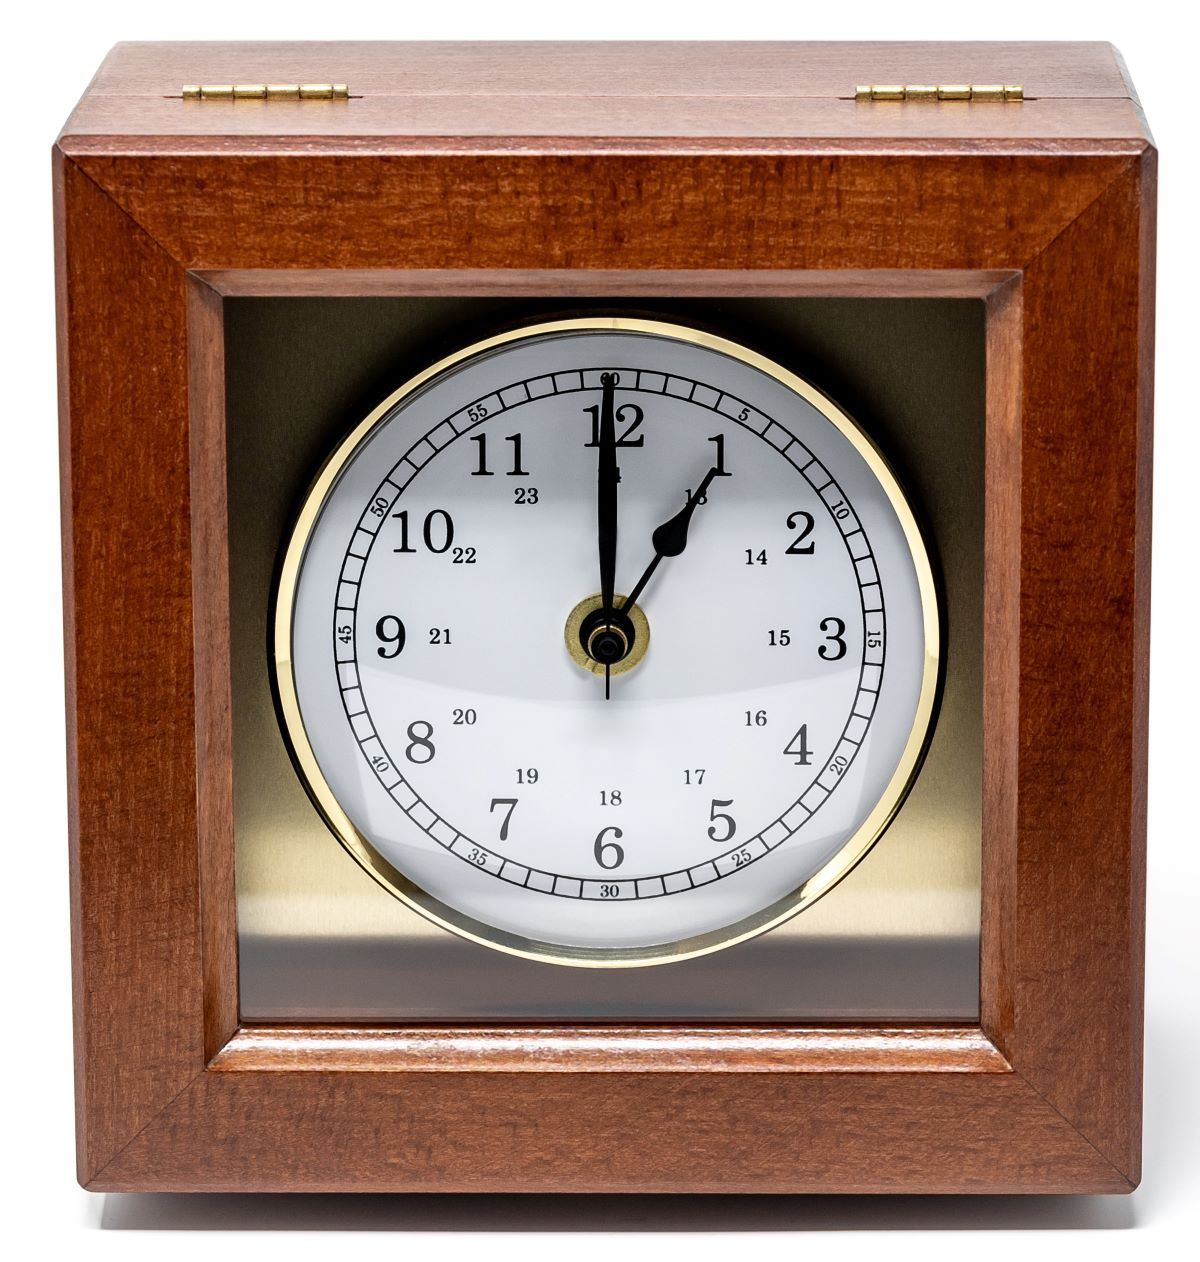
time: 1:00
